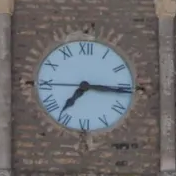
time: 7:15
